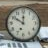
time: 11:50
